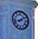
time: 1:42
